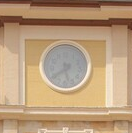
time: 5:39
